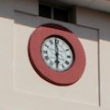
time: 5:59
